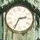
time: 2:34
